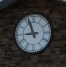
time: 8:56
